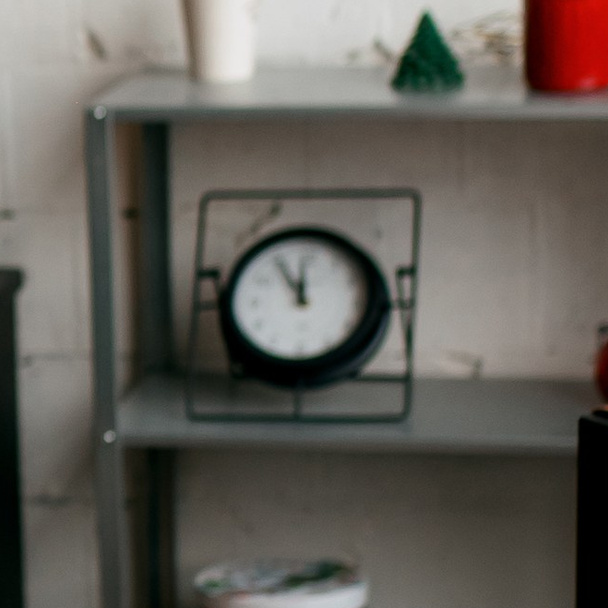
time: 11:54
